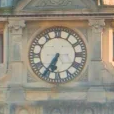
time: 6:35
